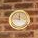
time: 11:46
